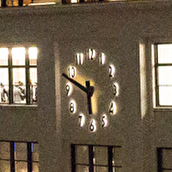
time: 5:48
